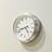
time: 4:42
